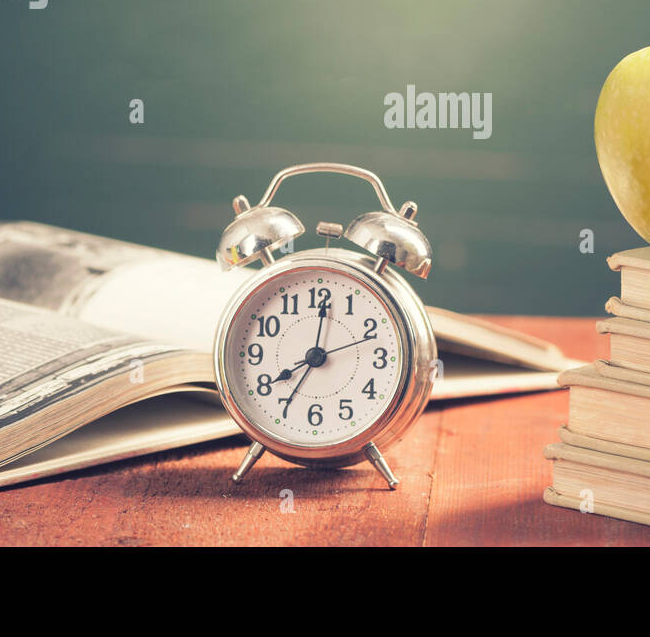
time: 8:01
